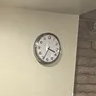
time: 3:34
